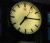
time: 7:15
